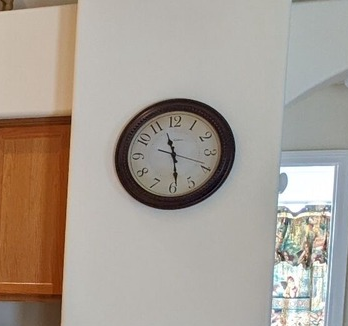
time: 11:28
